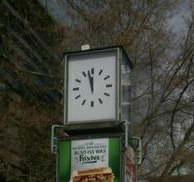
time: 11:57
